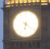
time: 6:21
